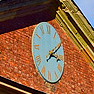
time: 3:09
